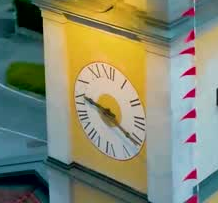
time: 9:20
